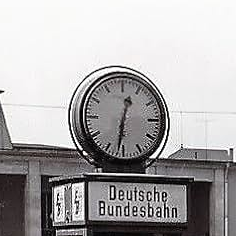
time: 12:31
